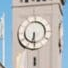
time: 6:29
